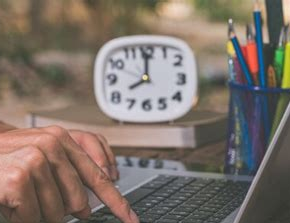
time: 7:59
